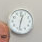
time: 12:32
